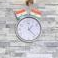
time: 1:22
